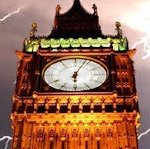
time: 6:03
